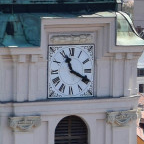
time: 11:19
